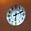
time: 6:11
